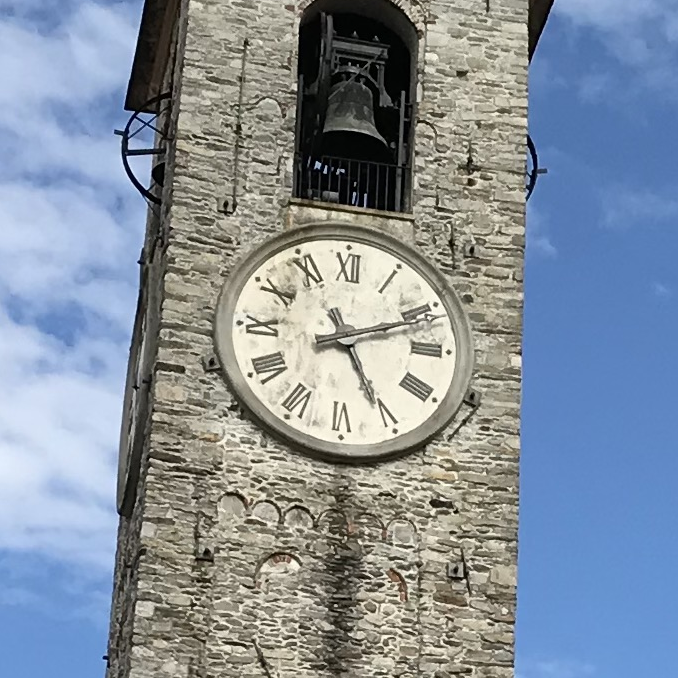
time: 5:11
